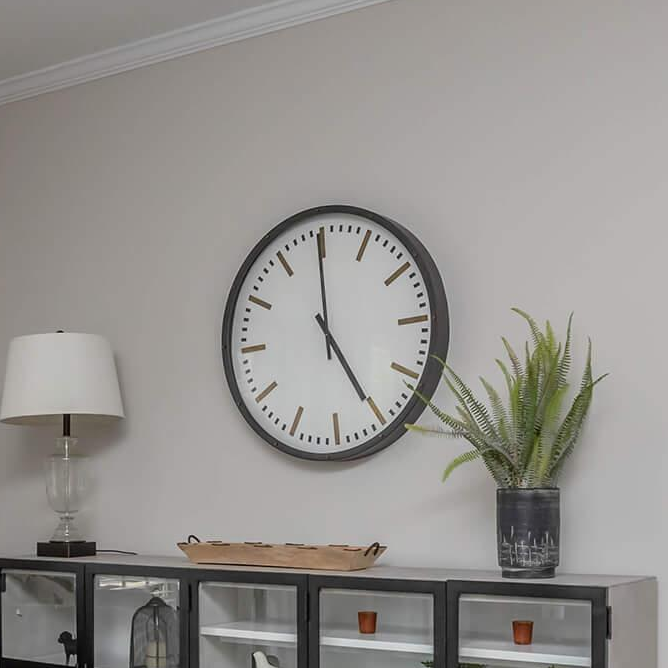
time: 4:59
